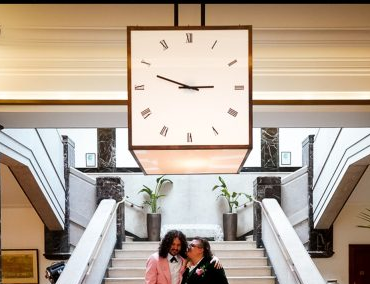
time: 2:48
